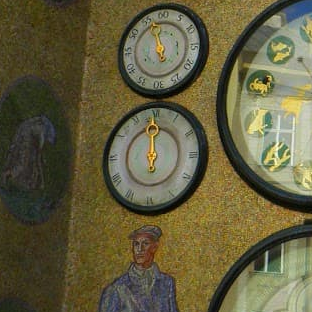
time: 11:59
